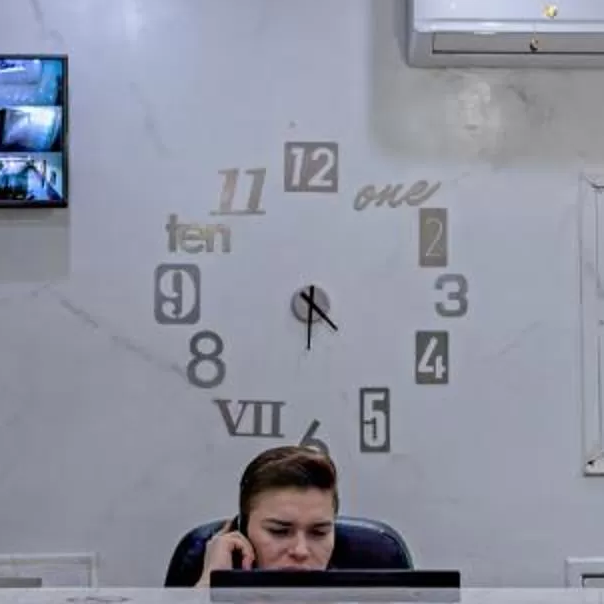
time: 4:31
